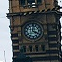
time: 4:01
